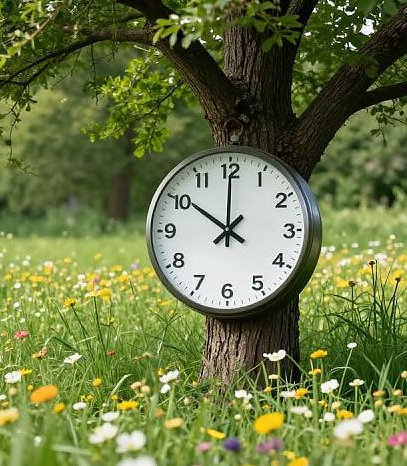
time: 10:00
